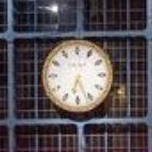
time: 6:26
